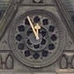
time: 11:55
